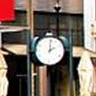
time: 2:00
